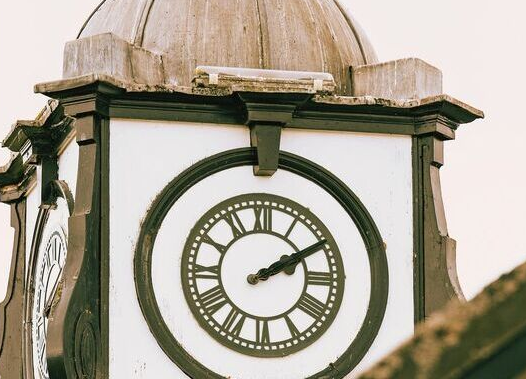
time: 2:09
